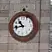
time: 10:43
